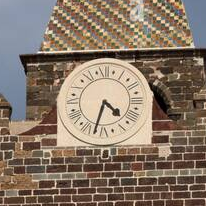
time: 4:32
